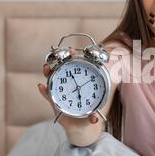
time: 5:56
